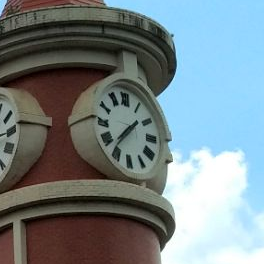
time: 1:36
